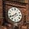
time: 7:39
